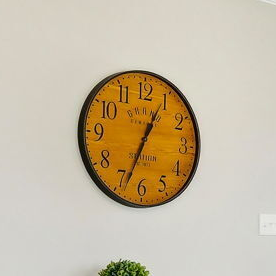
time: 12:33
